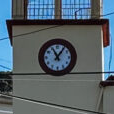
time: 11:06
